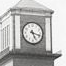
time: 5:17
